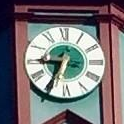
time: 8:34
